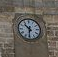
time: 10:31
